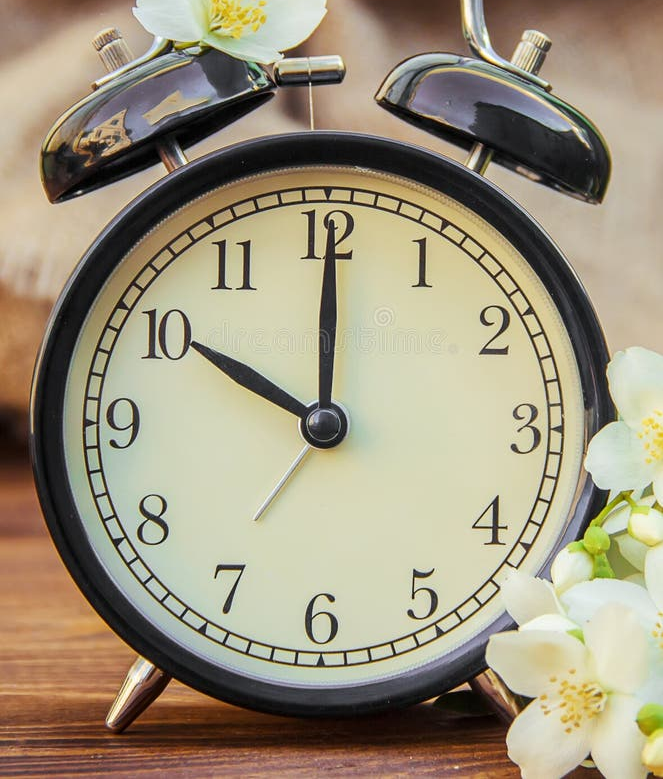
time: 10:00
